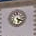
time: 5:18
